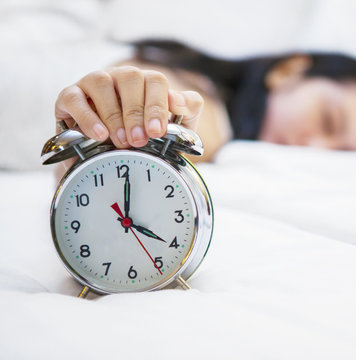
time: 4:01
